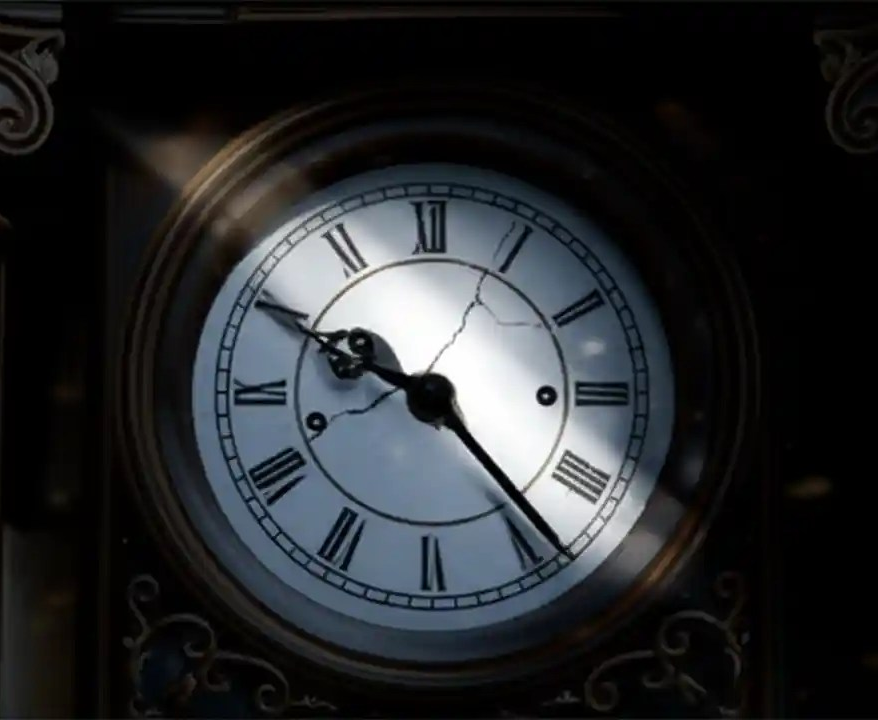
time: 9:23
